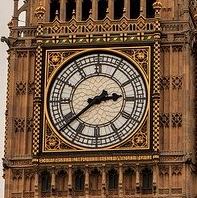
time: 2:38
